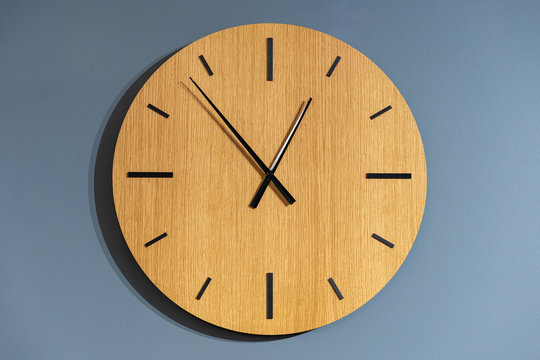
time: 12:53
